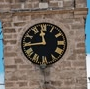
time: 11:44
